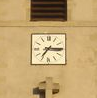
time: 7:15
